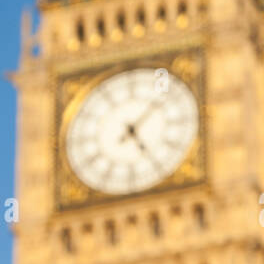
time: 5:07
